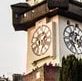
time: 1:40
